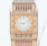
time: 9:10
